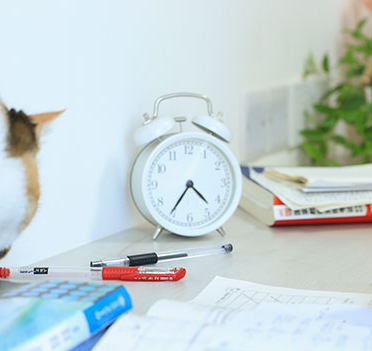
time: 4:35
